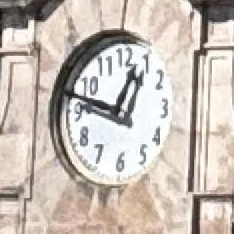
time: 12:47
